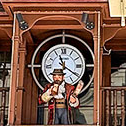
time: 11:20
